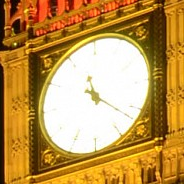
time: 11:21
